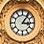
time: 3:06
